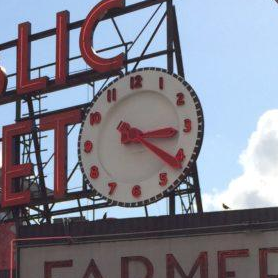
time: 3:21
